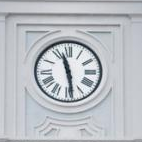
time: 11:28
